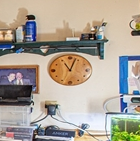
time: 11:03
